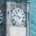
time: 10:47
